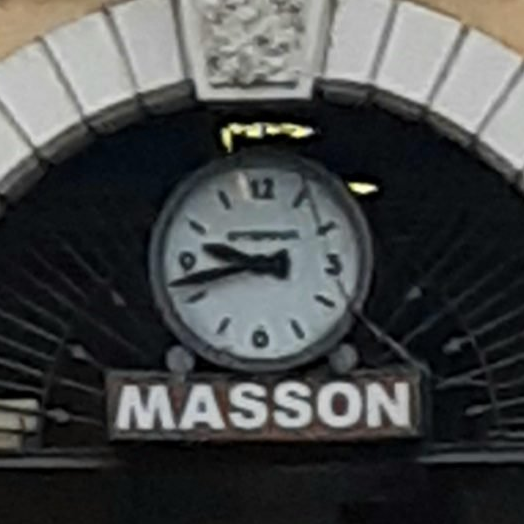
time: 9:42
